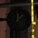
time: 12:07
